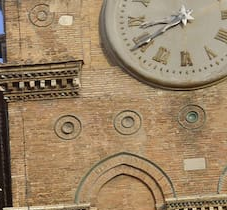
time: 8:39
